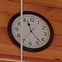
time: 11:22
